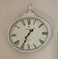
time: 1:34
